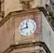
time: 11:42
